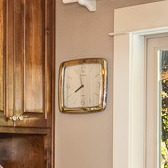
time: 7:58
